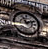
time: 11:11
